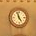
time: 4:57
